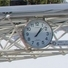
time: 1:07
